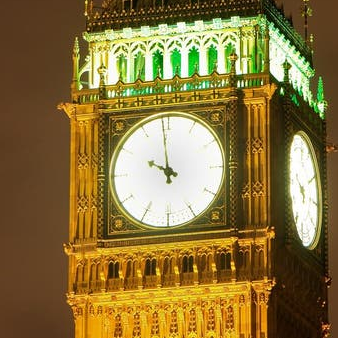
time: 9:58
